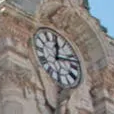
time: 12:12
